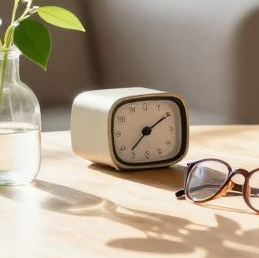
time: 7:09
